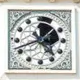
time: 4:41
